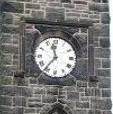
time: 11:36
